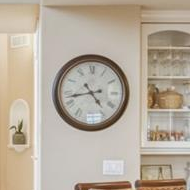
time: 4:42
